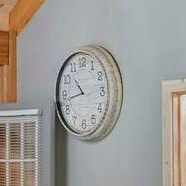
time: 10:42
